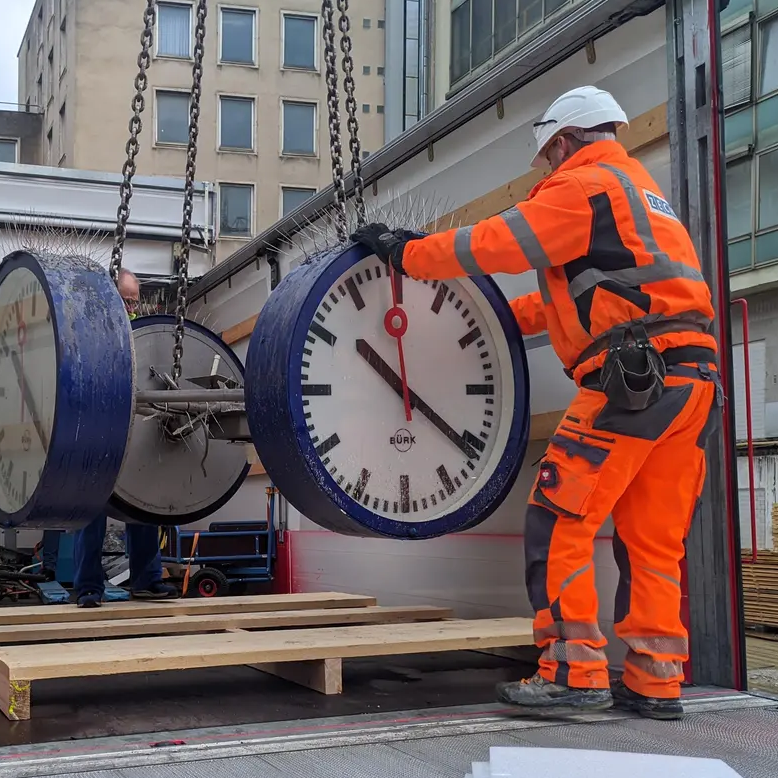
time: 10:21
